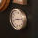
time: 8:12
